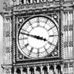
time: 3:47
